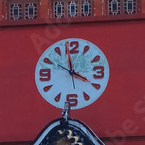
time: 3:58
